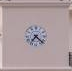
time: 7:22
